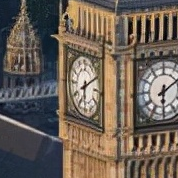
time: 6:10
